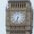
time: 6:32
